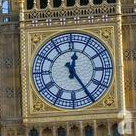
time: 12:24
